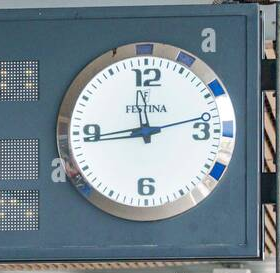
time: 11:43
